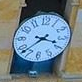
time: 3:37
